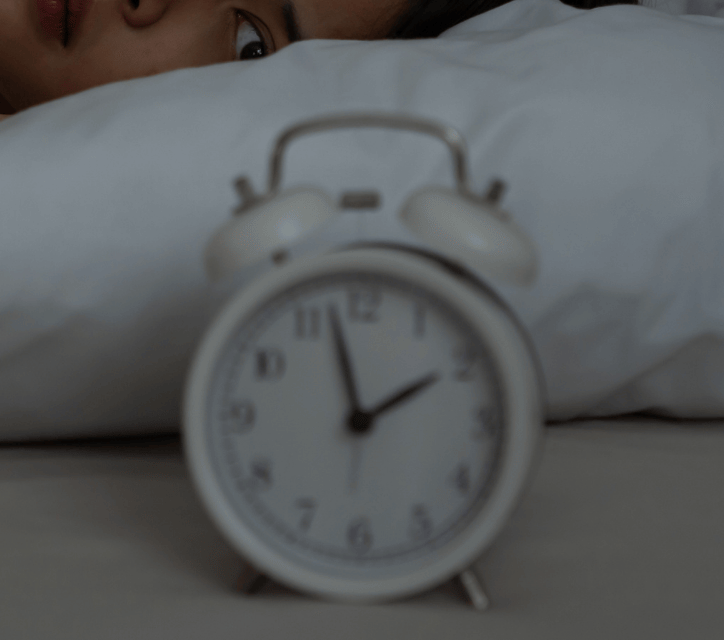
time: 1:57
